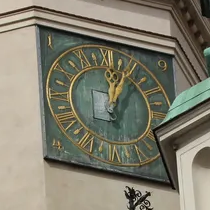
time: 12:03
